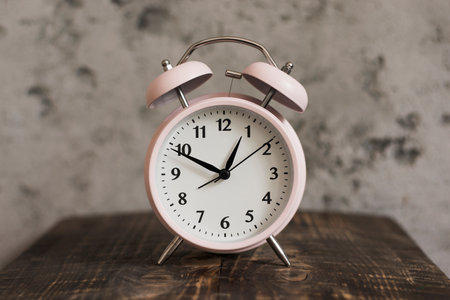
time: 12:49
